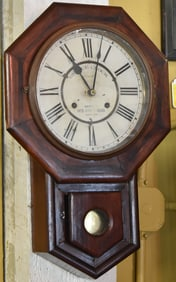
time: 11:03
